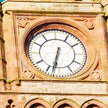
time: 6:32
